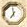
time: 6:58
